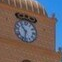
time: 10:32
